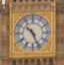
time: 10:26
